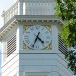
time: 4:34
